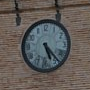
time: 5:23
